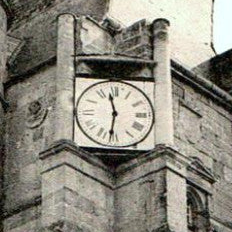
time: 11:31
